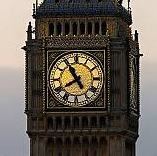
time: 7:54
